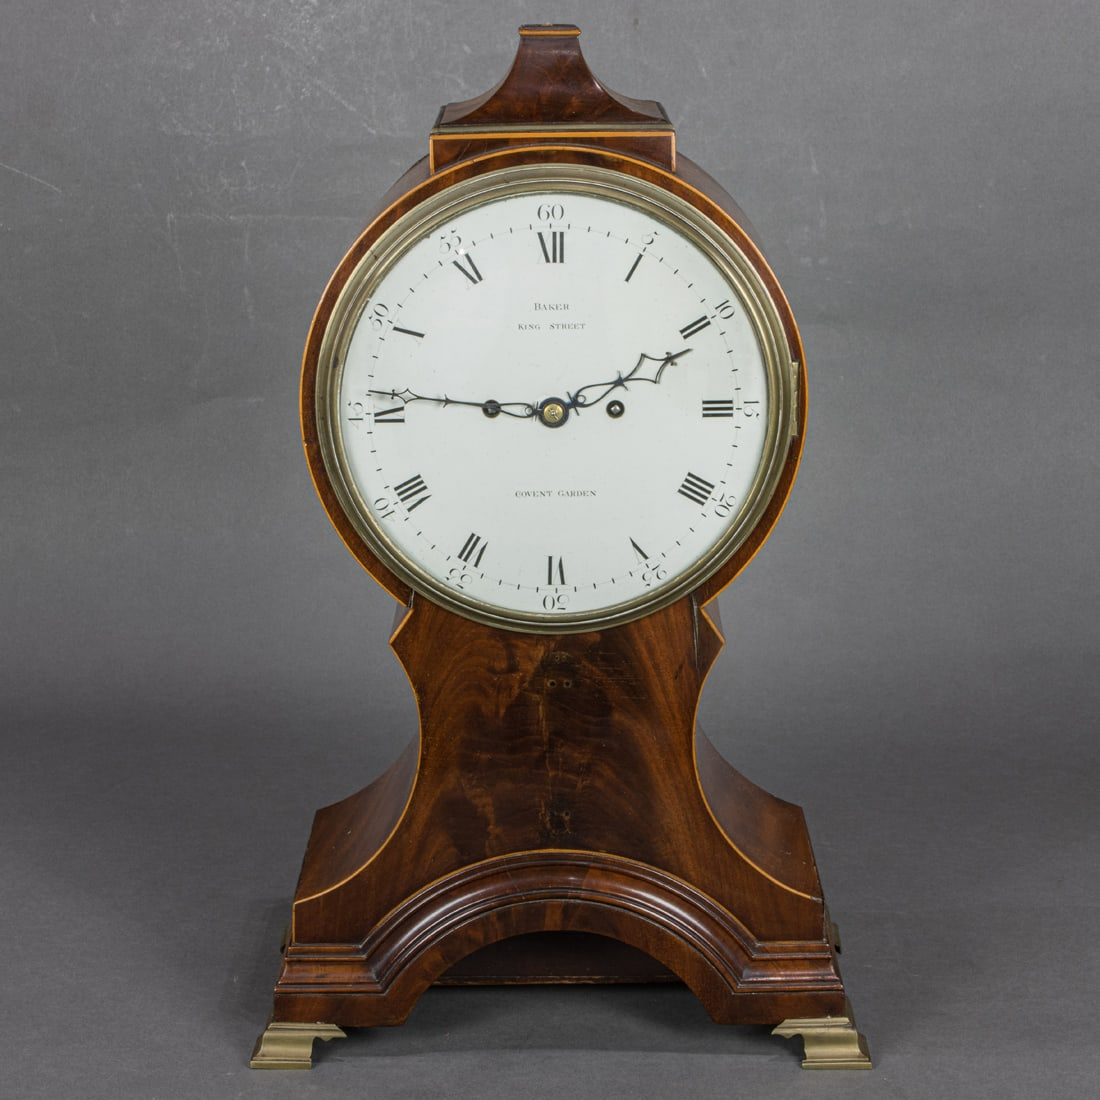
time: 9:10
